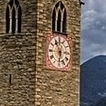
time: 5:54
